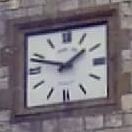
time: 1:47
